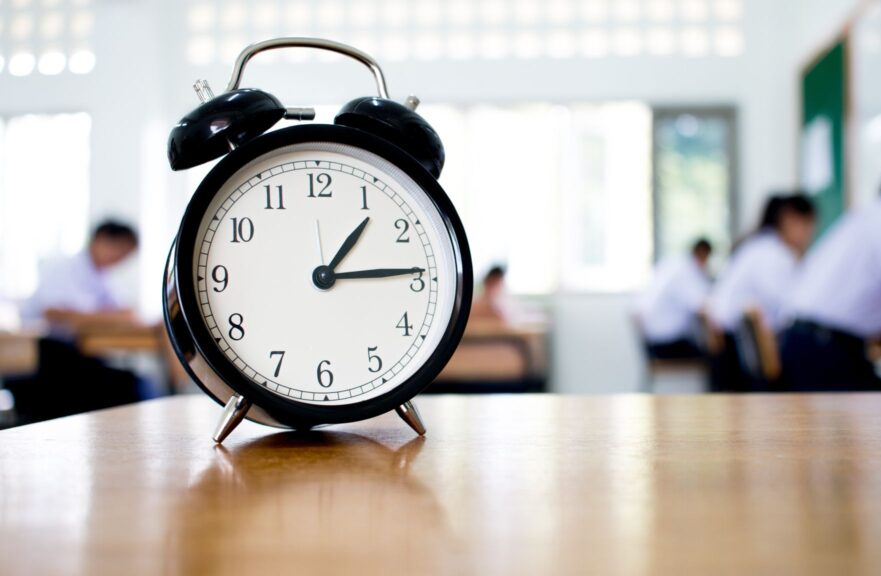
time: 1:14
